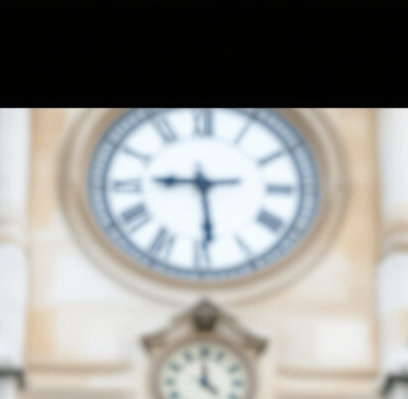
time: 5:45
